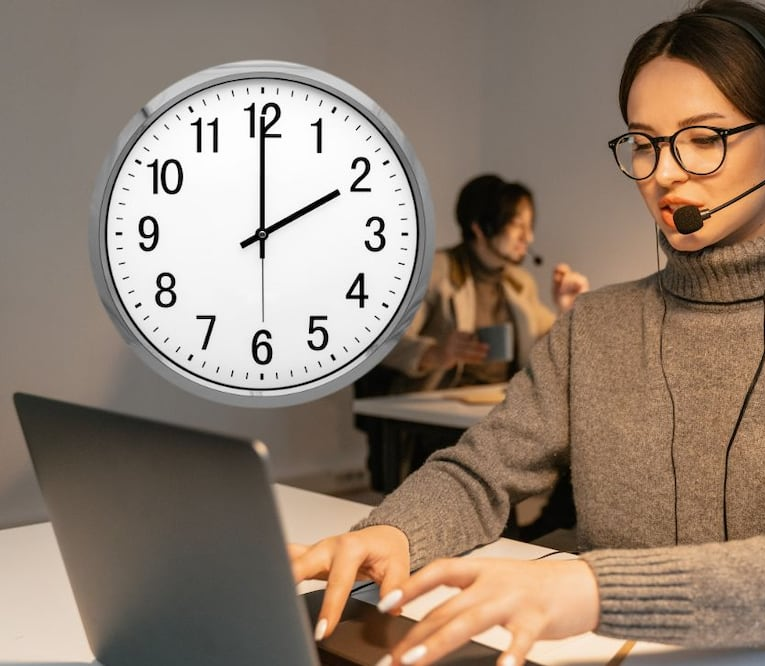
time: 2:00
